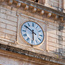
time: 5:50
